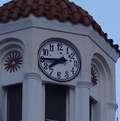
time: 7:44
